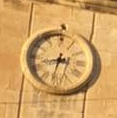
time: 8:32
